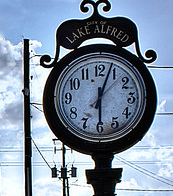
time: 6:03
